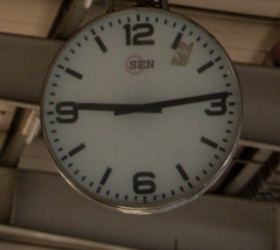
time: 9:13
